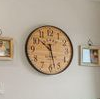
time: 10:28
